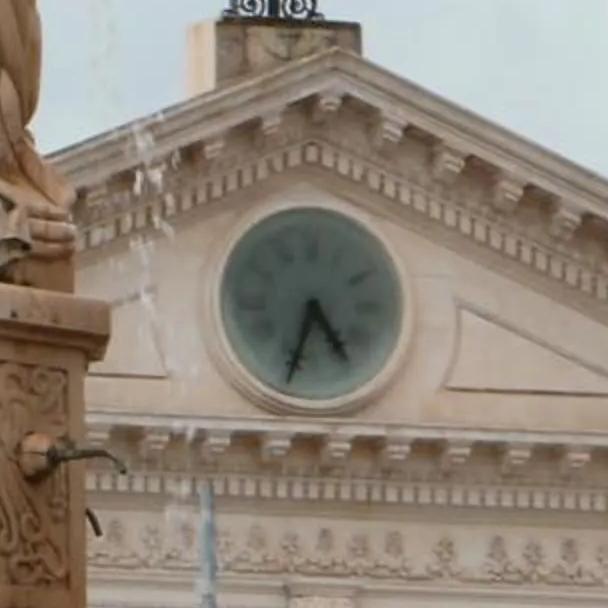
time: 4:33
